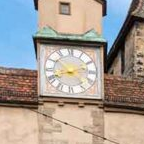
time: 8:11
